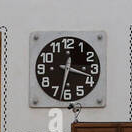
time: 3:32
